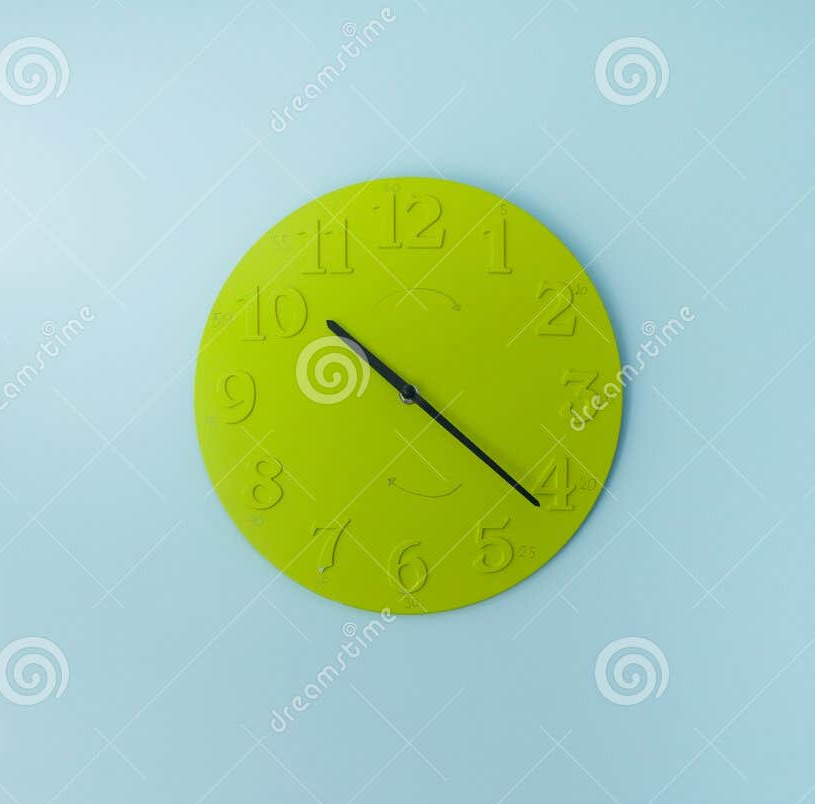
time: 10:21
